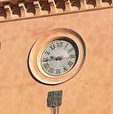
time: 9:43
